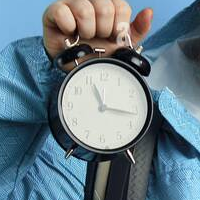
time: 11:16
